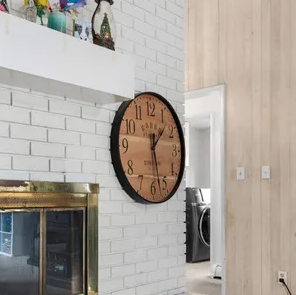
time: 1:27
